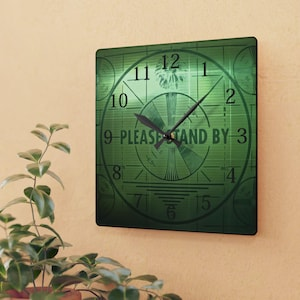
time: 10:07
